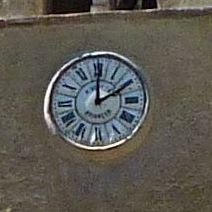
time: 2:00
